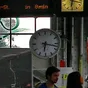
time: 6:17
